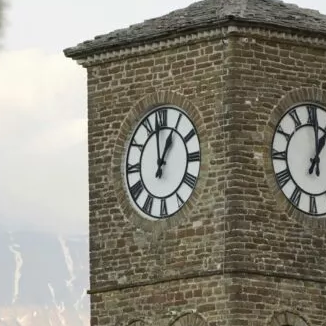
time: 12:58
